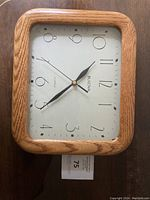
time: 1:38
